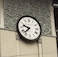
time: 9:37
